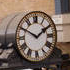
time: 1:50
